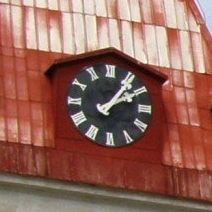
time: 2:06
